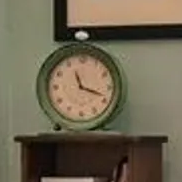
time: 11:18
